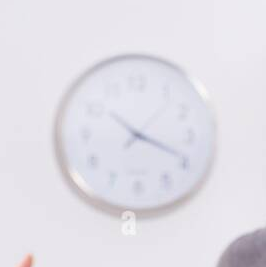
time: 10:19
